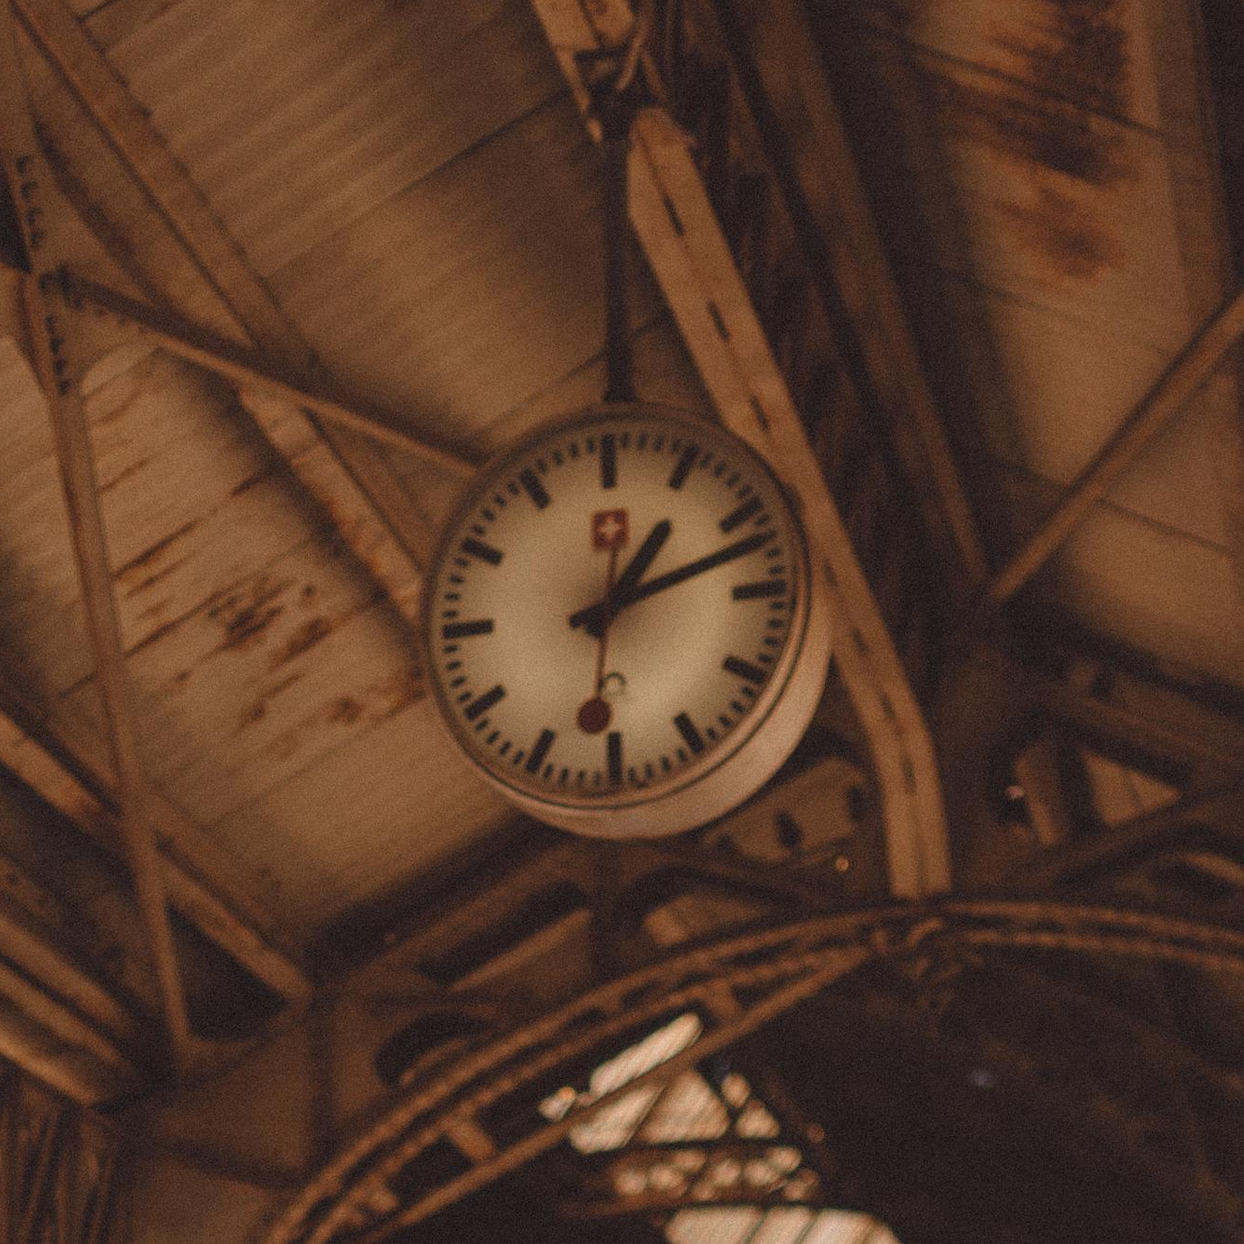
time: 1:12
